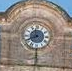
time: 11:41
